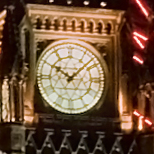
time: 10:07
